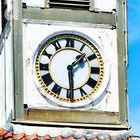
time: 1:29
